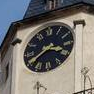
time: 3:39
